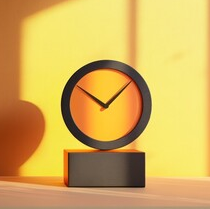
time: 10:07
